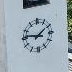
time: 1:46
